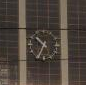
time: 10:34
